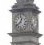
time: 12:38
